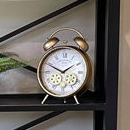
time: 1:49
